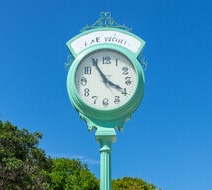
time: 3:54
